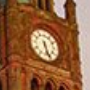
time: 5:26
